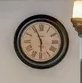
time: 5:56
